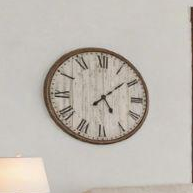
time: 5:08
